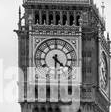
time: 4:31
